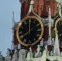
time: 7:59
